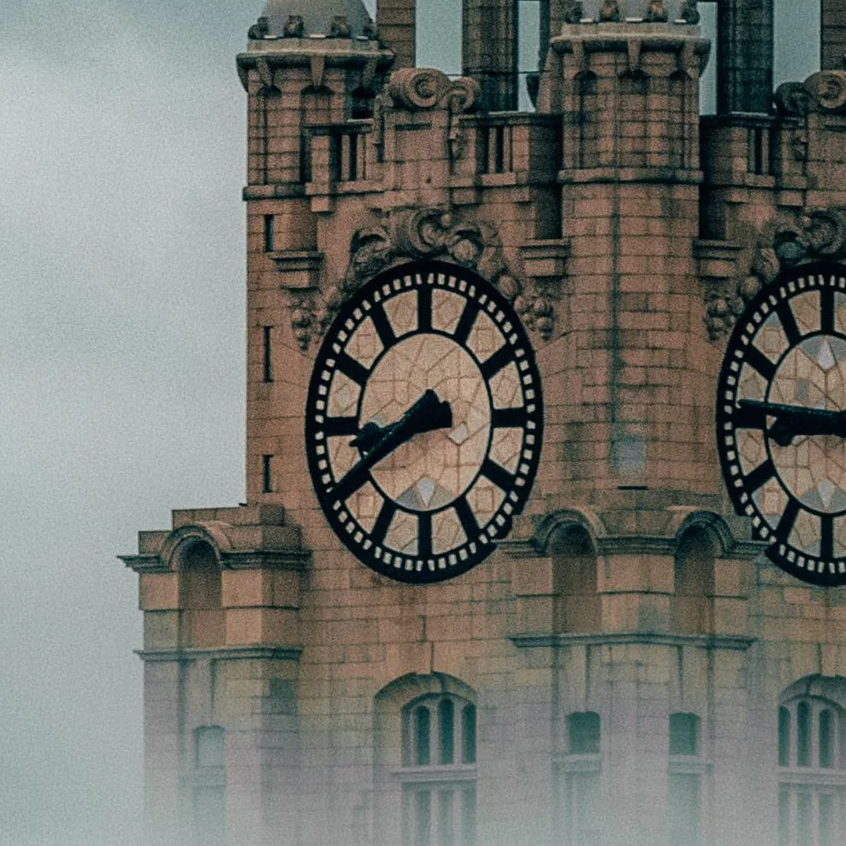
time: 8:40
